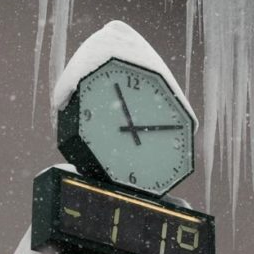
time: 11:12
